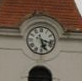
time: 5:17
